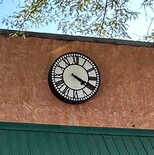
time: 4:19
